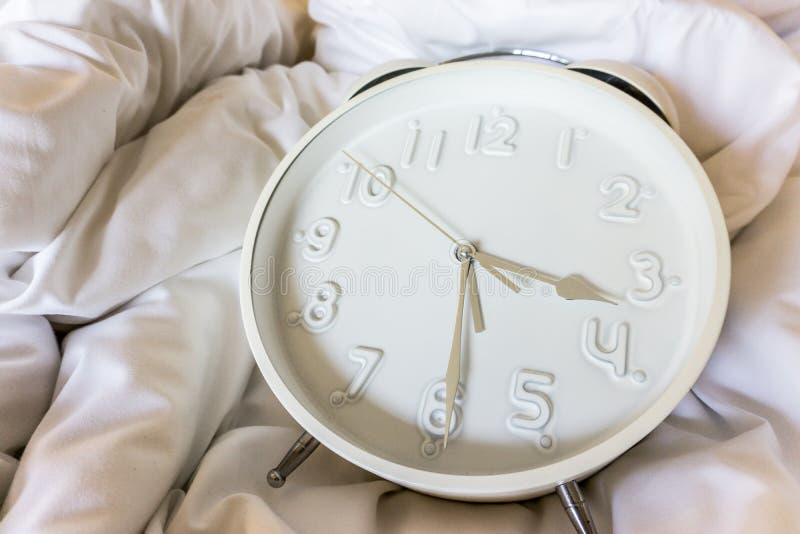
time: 3:29
